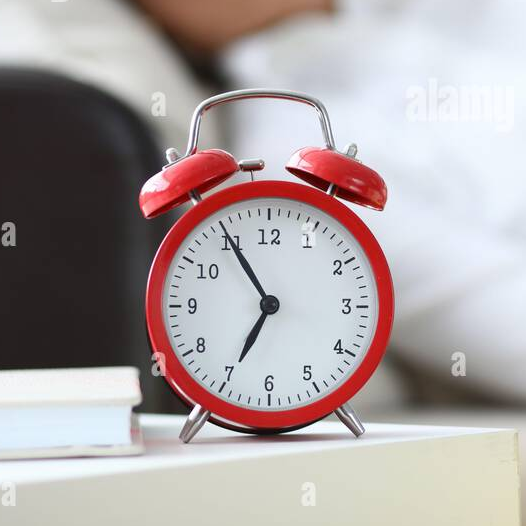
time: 6:54
